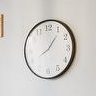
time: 8:06
